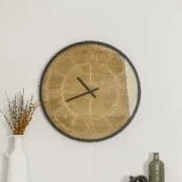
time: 10:41
